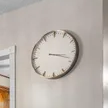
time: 3:18
